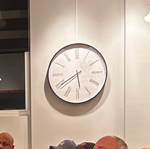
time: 5:40
